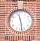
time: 11:28
